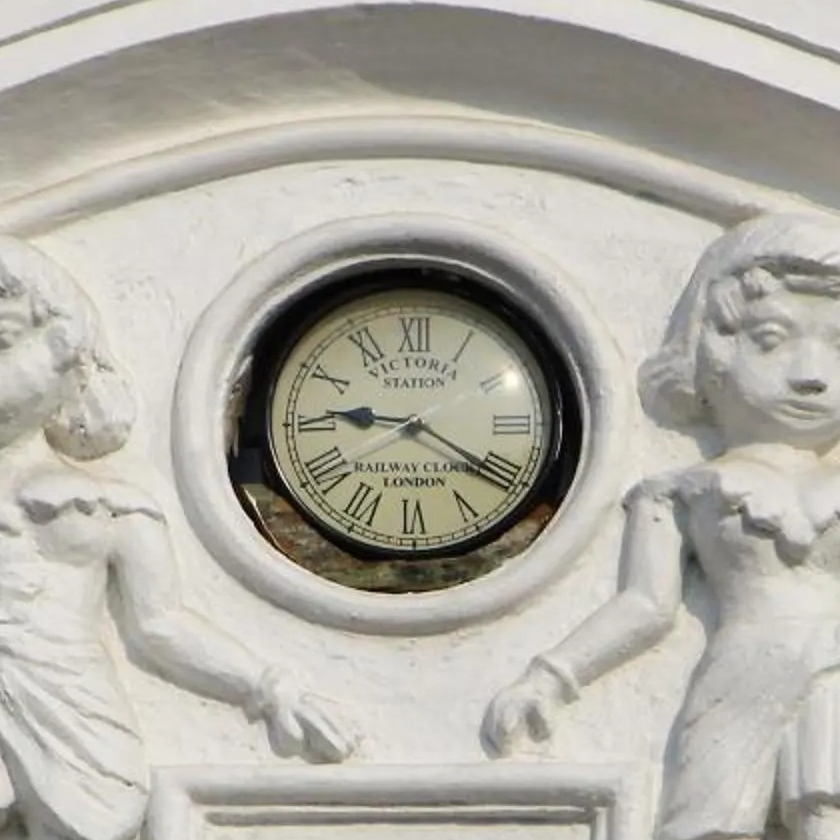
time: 9:20
